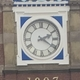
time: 2:20
